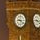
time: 9:22
